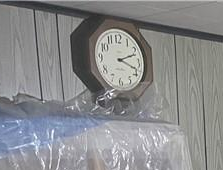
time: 2:18
